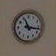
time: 11:16
